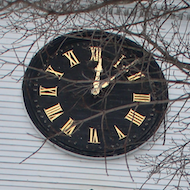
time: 12:07
